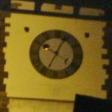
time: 10:04
